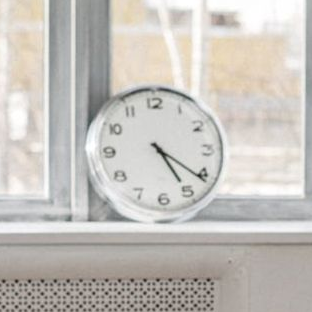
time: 5:21
